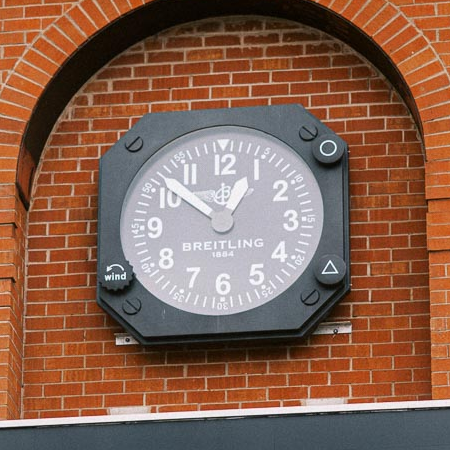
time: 12:51
